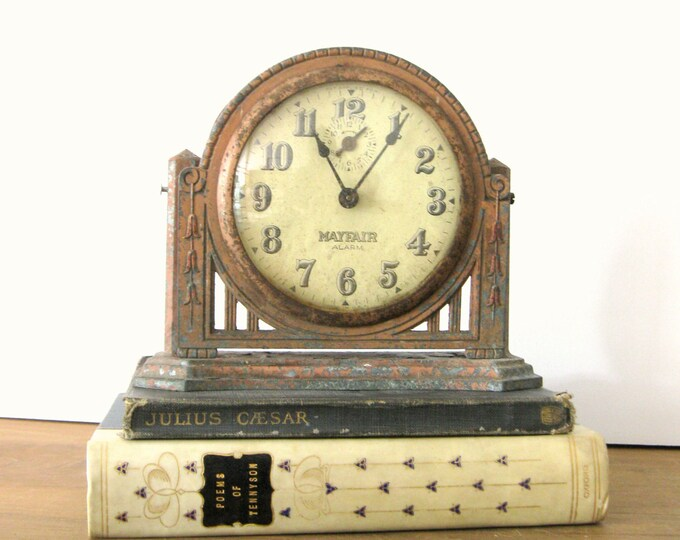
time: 11:05
